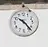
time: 10:23
